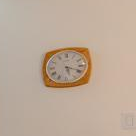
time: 5:18
